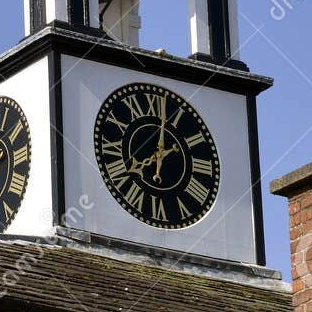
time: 8:01
